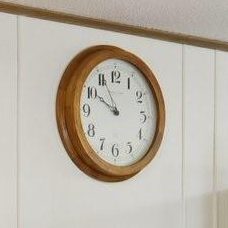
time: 9:55
